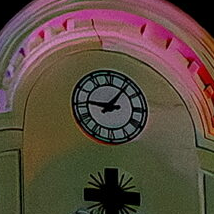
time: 9:06
